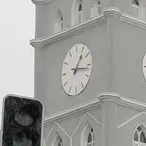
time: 1:16
